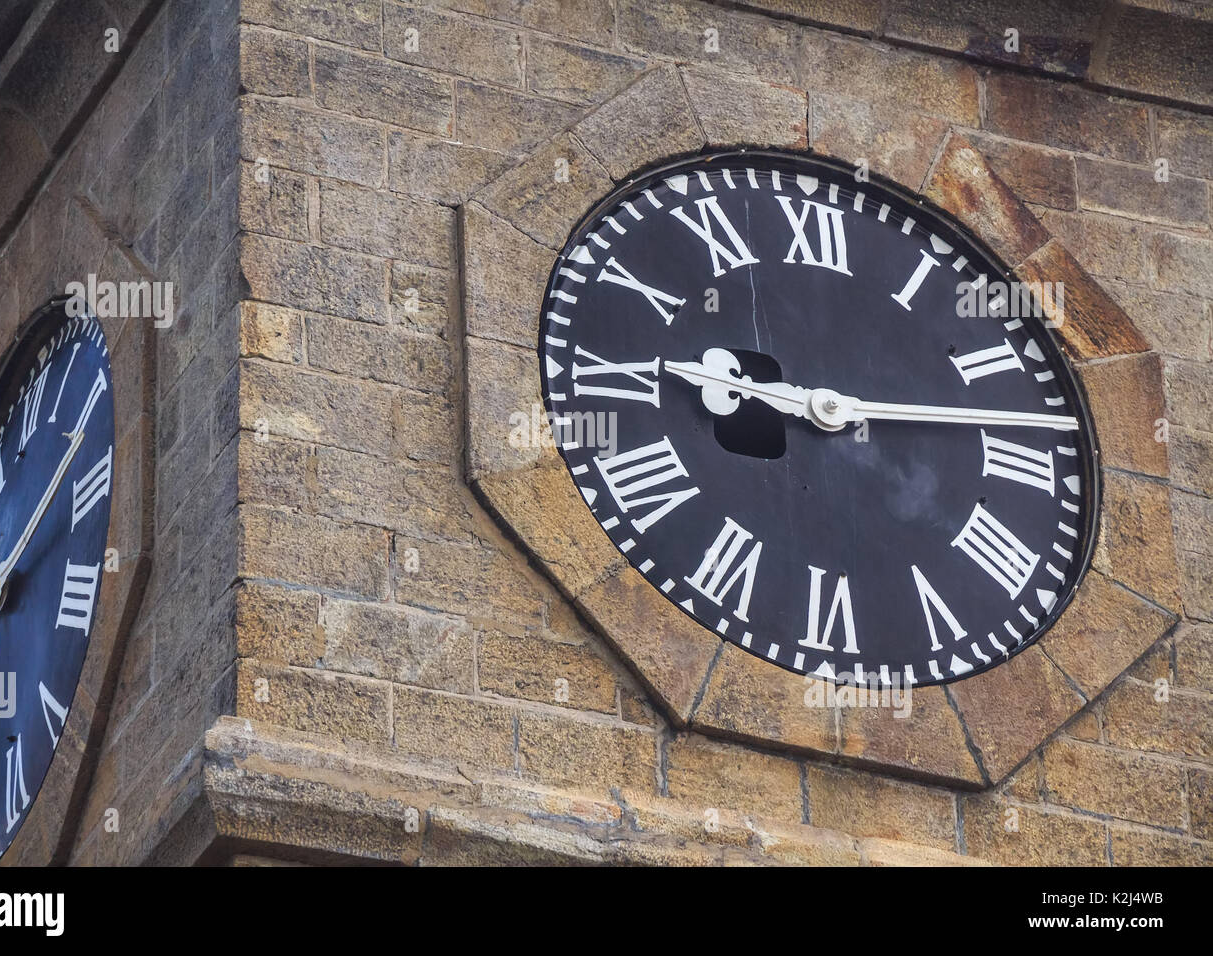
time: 9:13
